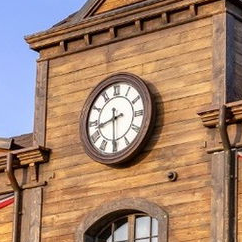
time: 8:29
